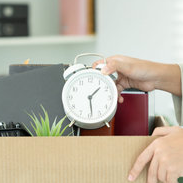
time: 1:28
